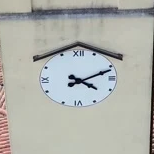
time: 4:11
